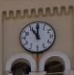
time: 11:00
